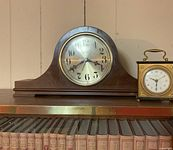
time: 3:40
